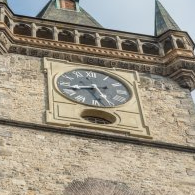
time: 8:27
